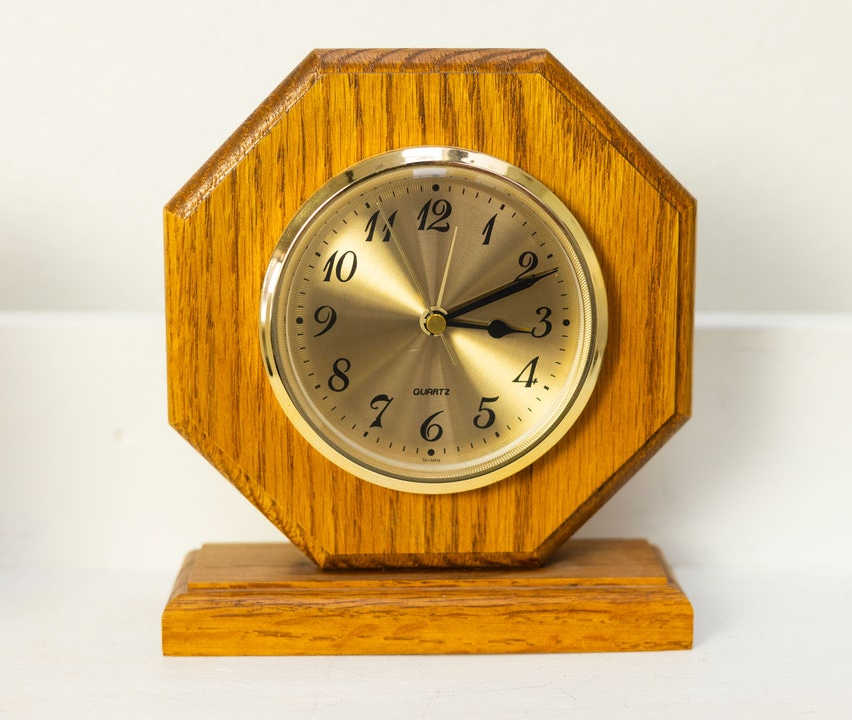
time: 3:11
